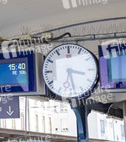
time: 3:28
